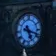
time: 5:18
